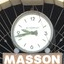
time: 9:42
